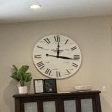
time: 12:16
